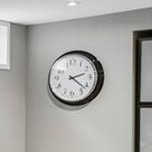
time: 2:21
